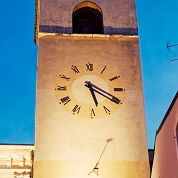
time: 5:20
